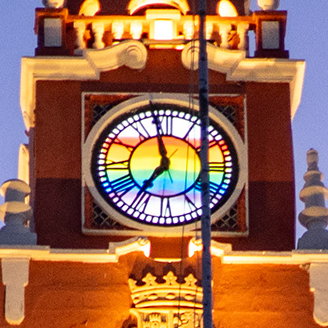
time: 6:58
